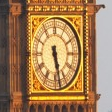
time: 5:28
